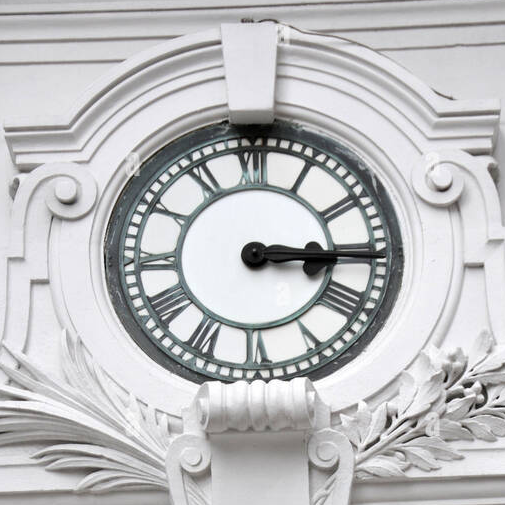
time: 3:15
